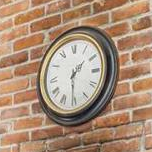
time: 1:30
